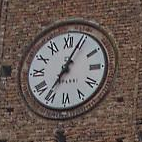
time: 7:04
